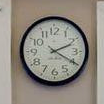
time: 2:19
